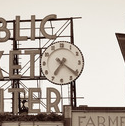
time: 7:21
